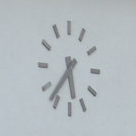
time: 5:36
